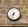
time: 7:32
